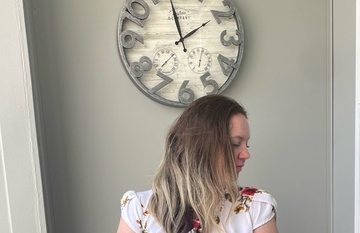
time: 1:57
